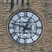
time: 12:47
